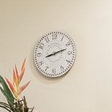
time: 8:12
